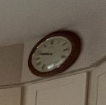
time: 9:47
